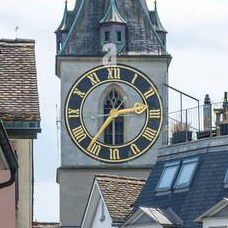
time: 2:36
